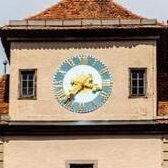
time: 3:37
